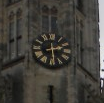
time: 2:29
